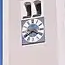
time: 3:40
